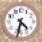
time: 4:32
